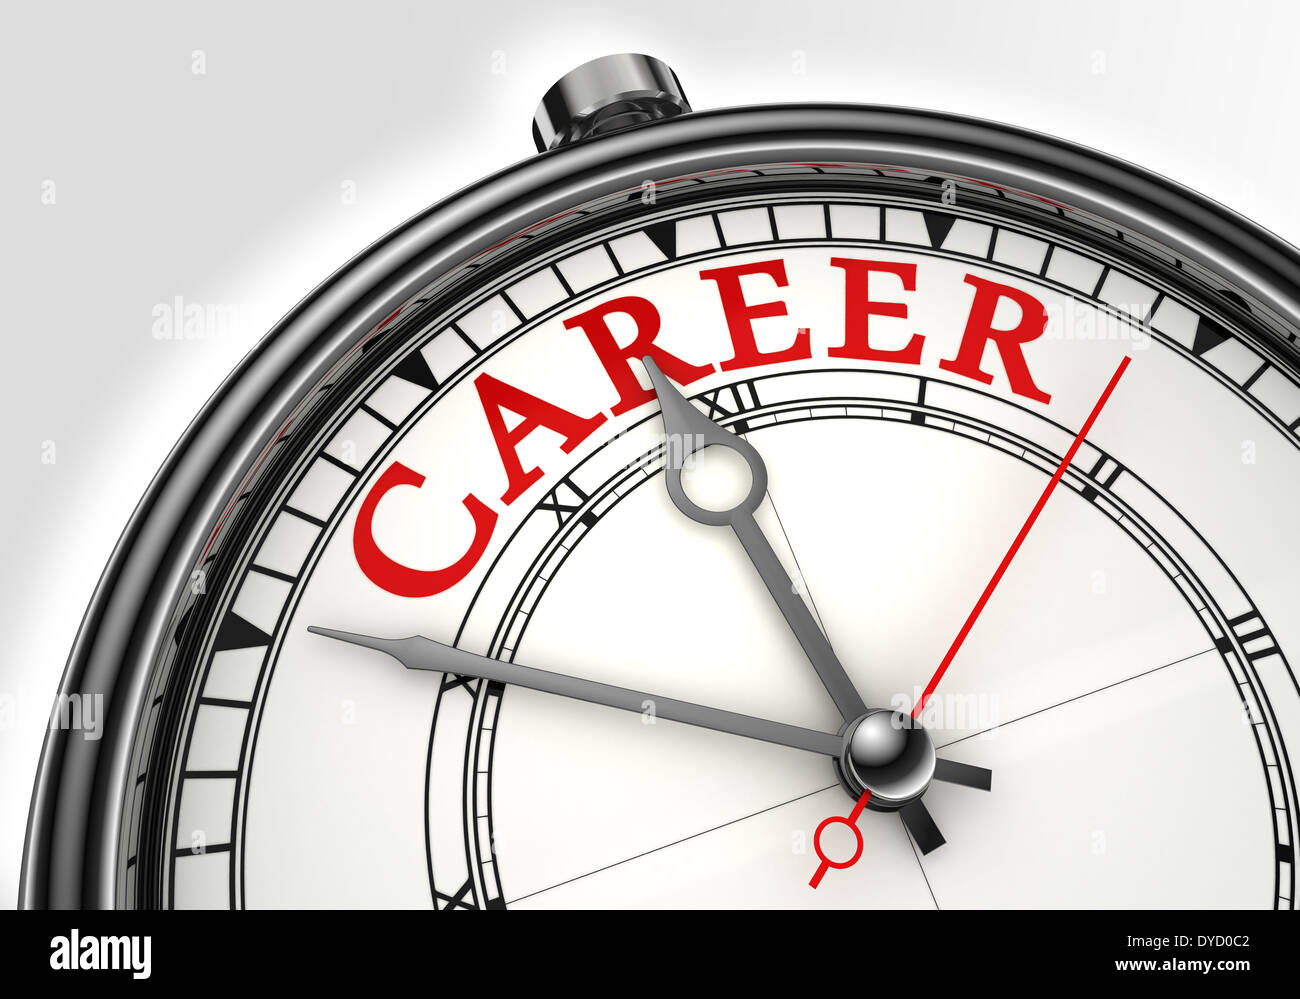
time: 10:47
